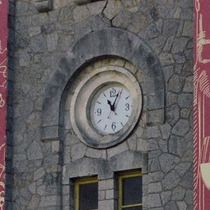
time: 11:04
